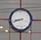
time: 8:42
